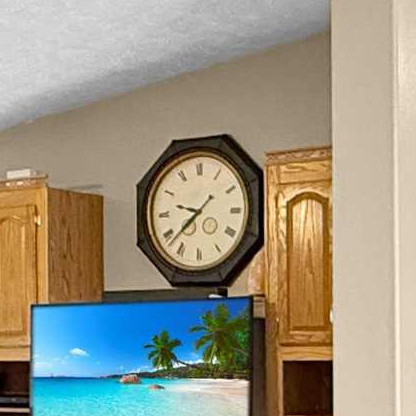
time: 9:37
